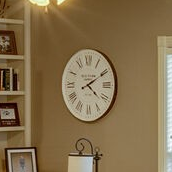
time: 4:10
